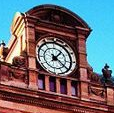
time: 1:20
